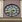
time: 6:14
